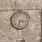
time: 3:32
